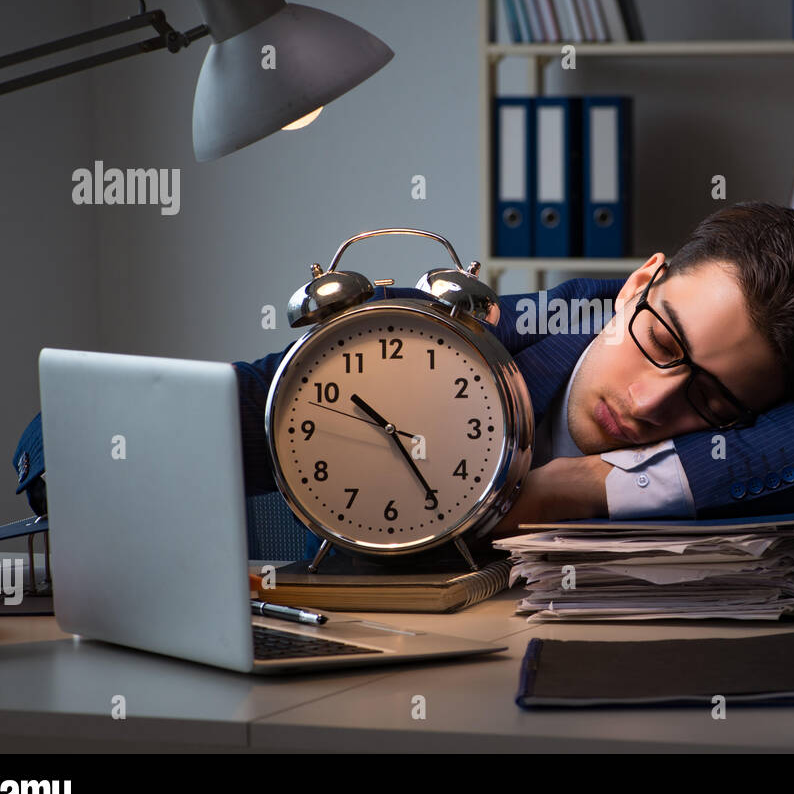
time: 10:24
